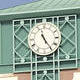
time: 11:24
